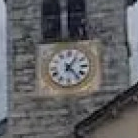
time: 1:23
